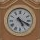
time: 5:19
